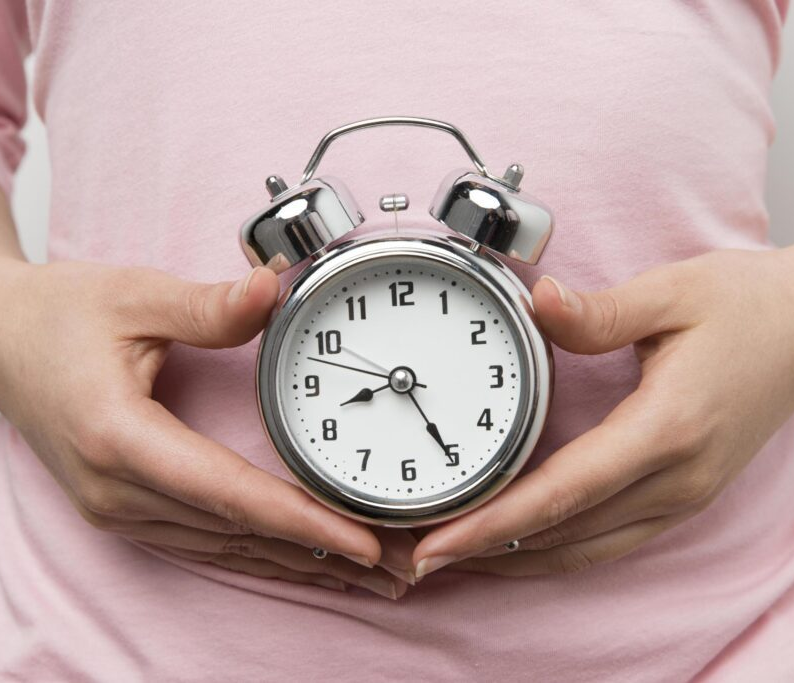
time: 8:25
